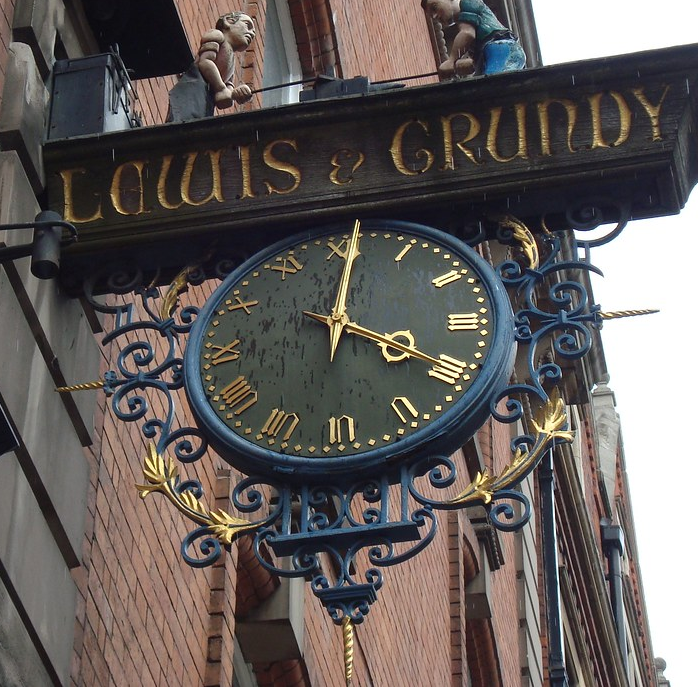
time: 4:00
